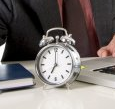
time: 7:00
